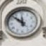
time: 11:52
